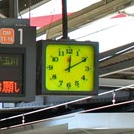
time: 12:10
